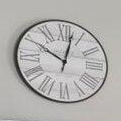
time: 10:02
